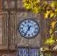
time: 11:35
